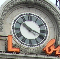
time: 10:18
